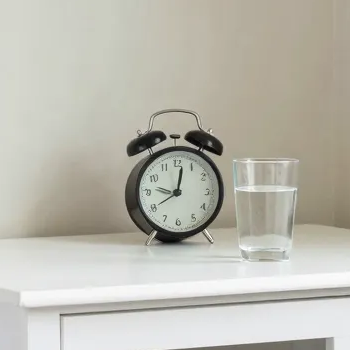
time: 9:01
